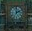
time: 1:59
